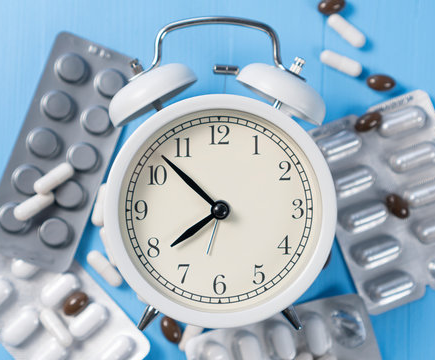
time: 7:52
